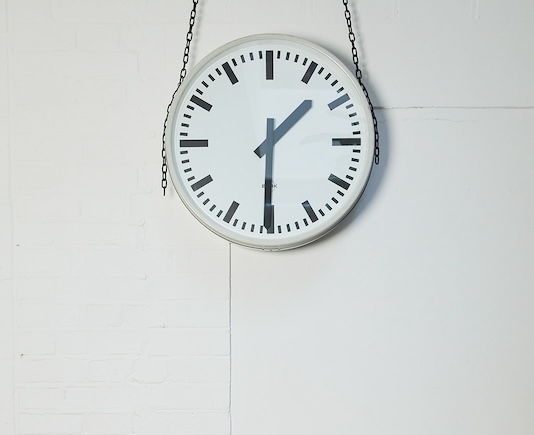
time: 1:30
